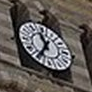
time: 11:36
